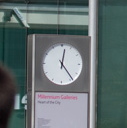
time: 12:23
